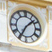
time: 1:34
